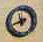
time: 11:41
